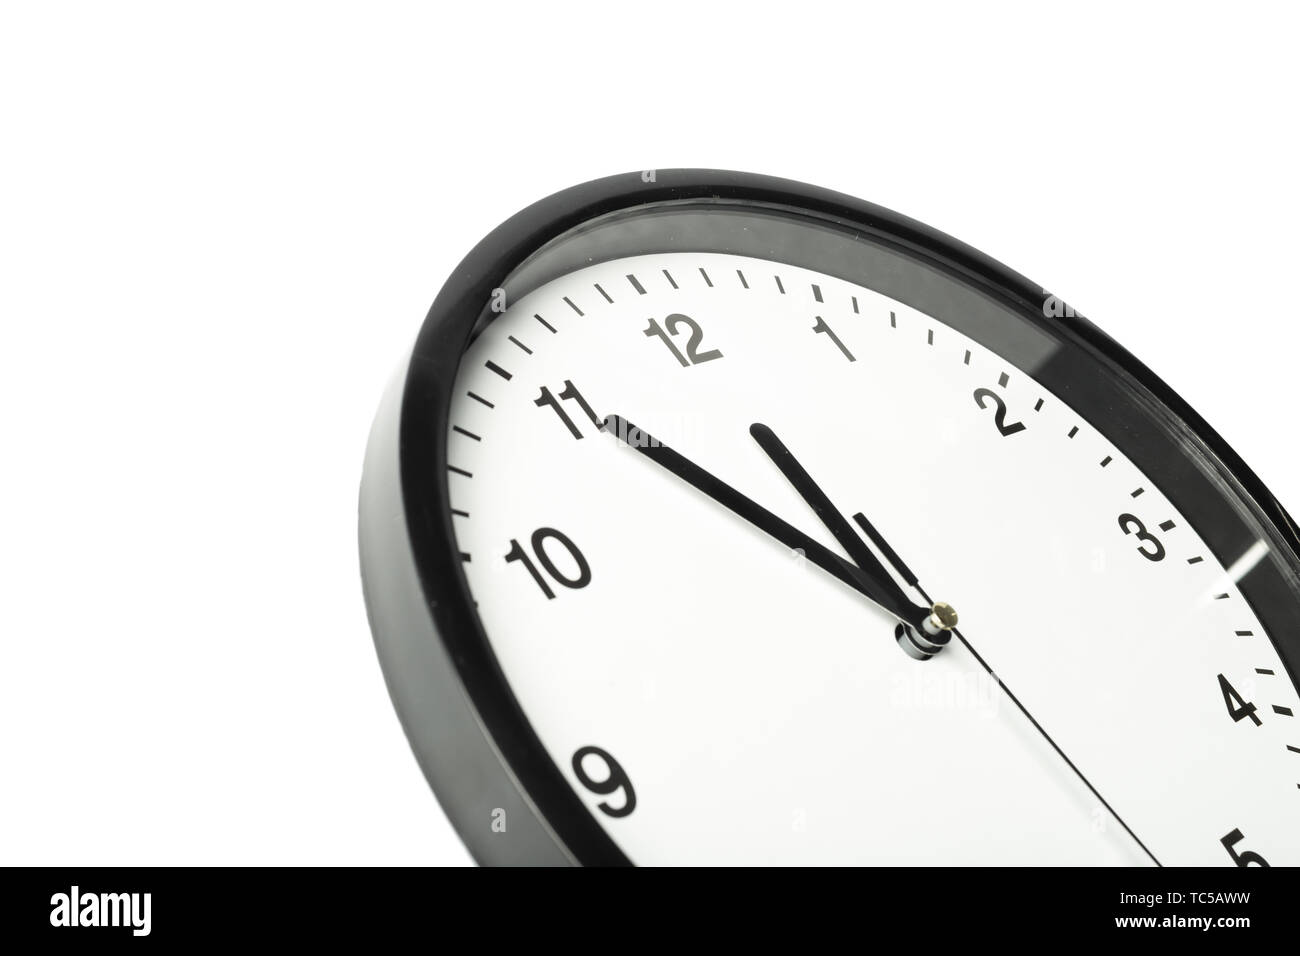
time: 10:50
